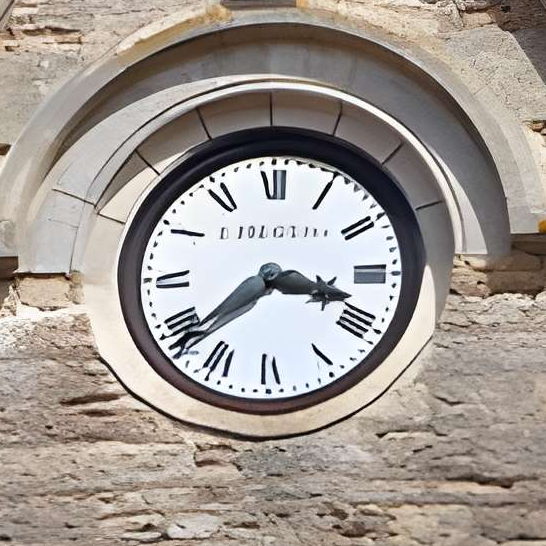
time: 3:38
